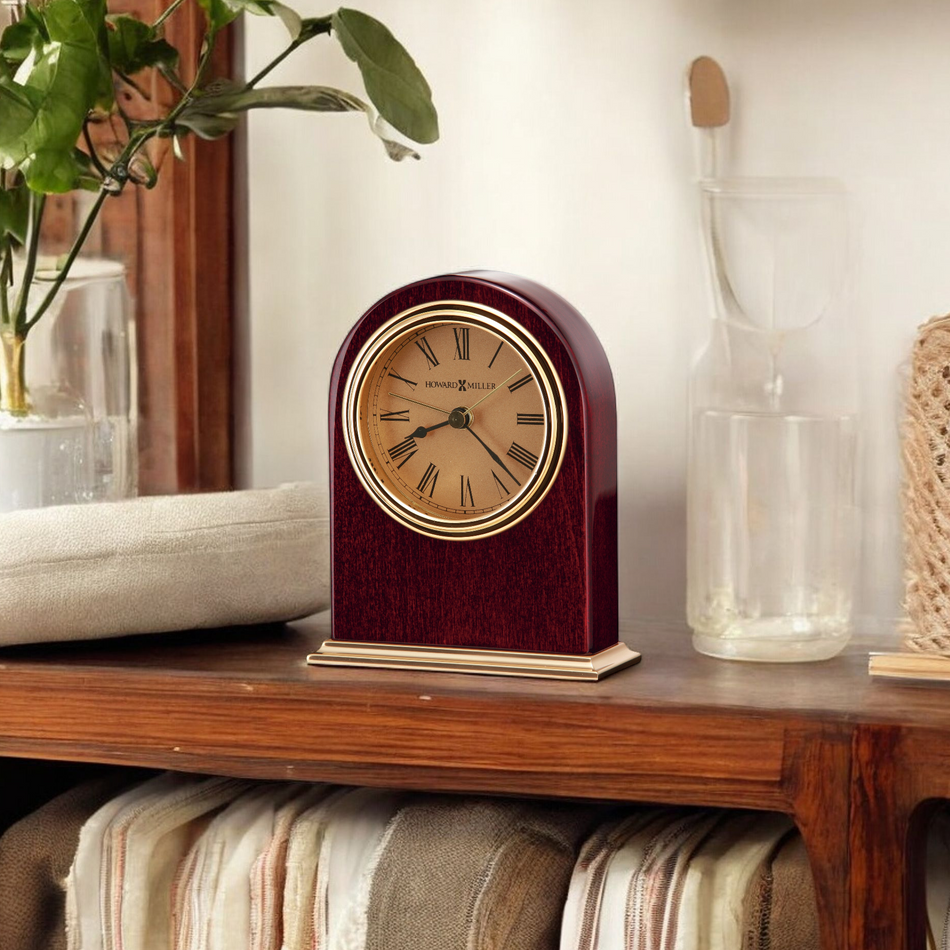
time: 8:21
